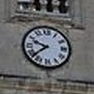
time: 9:38
